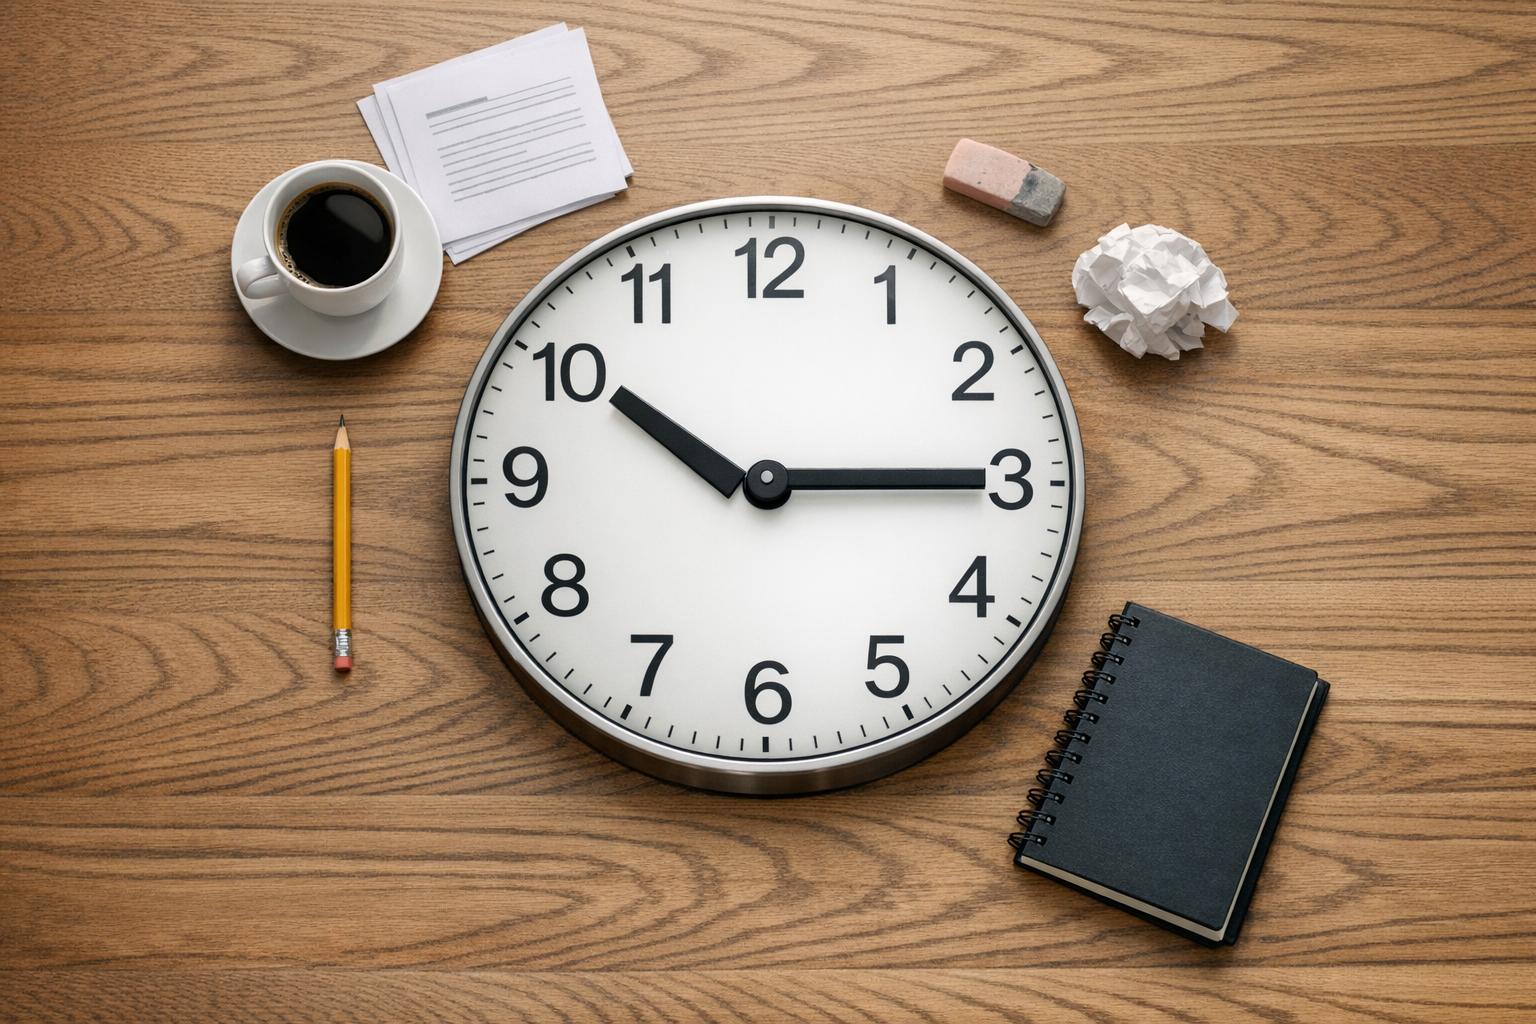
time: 10:15
